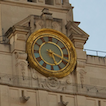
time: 5:18
